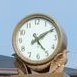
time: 5:09
